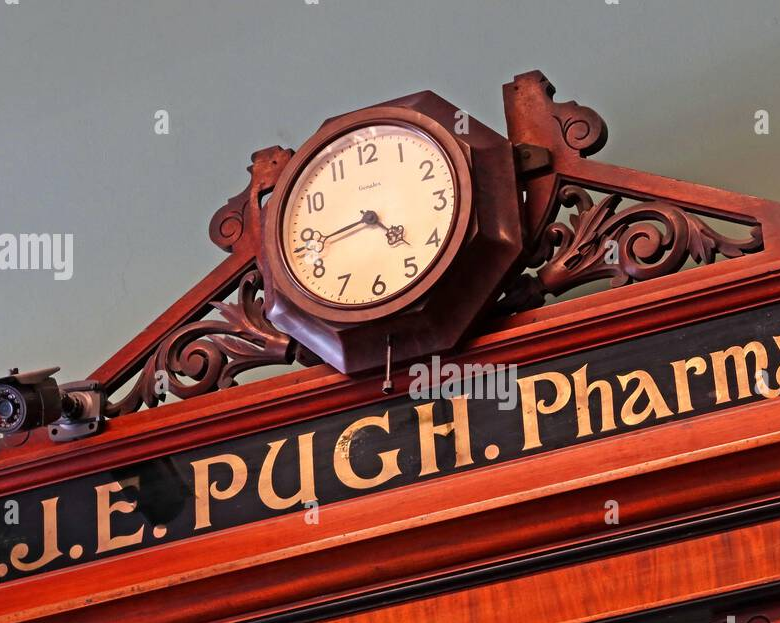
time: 4:43
